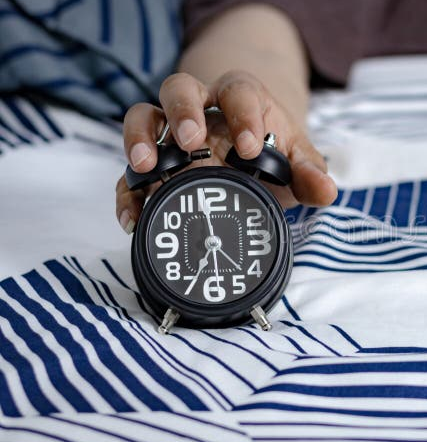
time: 6:58
